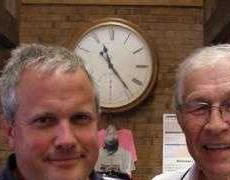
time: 11:23
